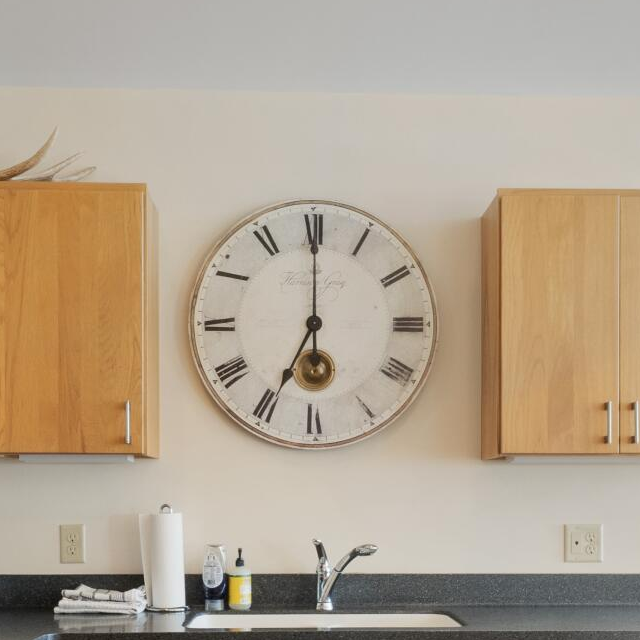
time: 6:59
